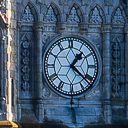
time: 1:21
